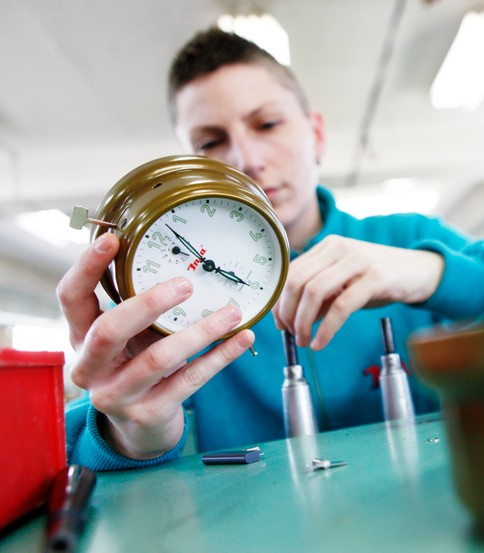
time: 3:52
